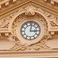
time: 3:01
